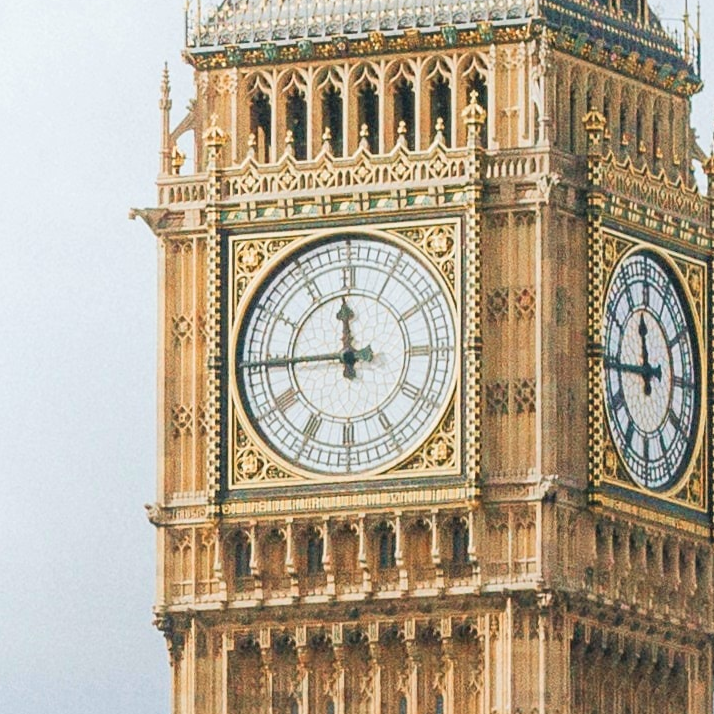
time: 11:44
